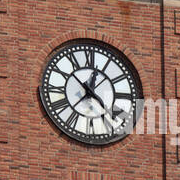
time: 12:52
